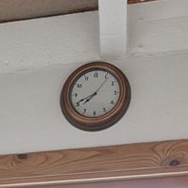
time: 7:41
